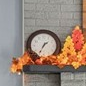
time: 1:34
